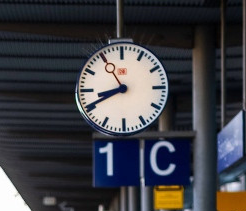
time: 8:40
